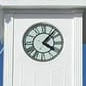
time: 4:07
